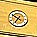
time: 6:50
